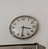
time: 3:31
